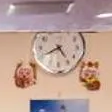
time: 4:40
